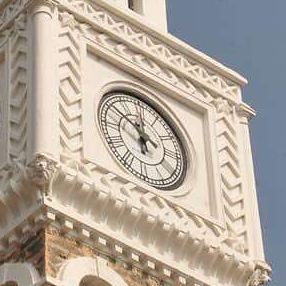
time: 11:51
